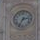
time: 2:34
